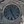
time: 11:25
